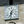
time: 6:32
